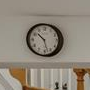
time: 10:27
